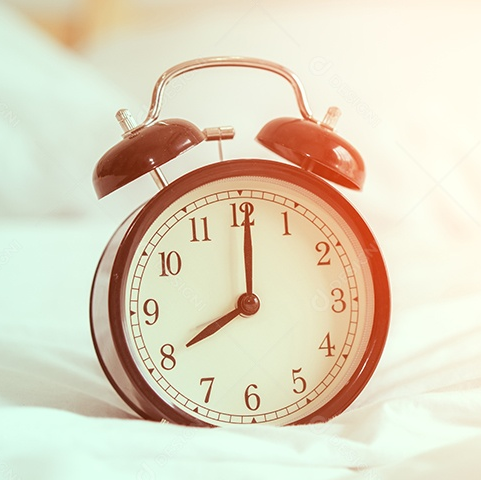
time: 8:00
